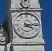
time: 4:13
